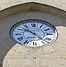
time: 10:22
